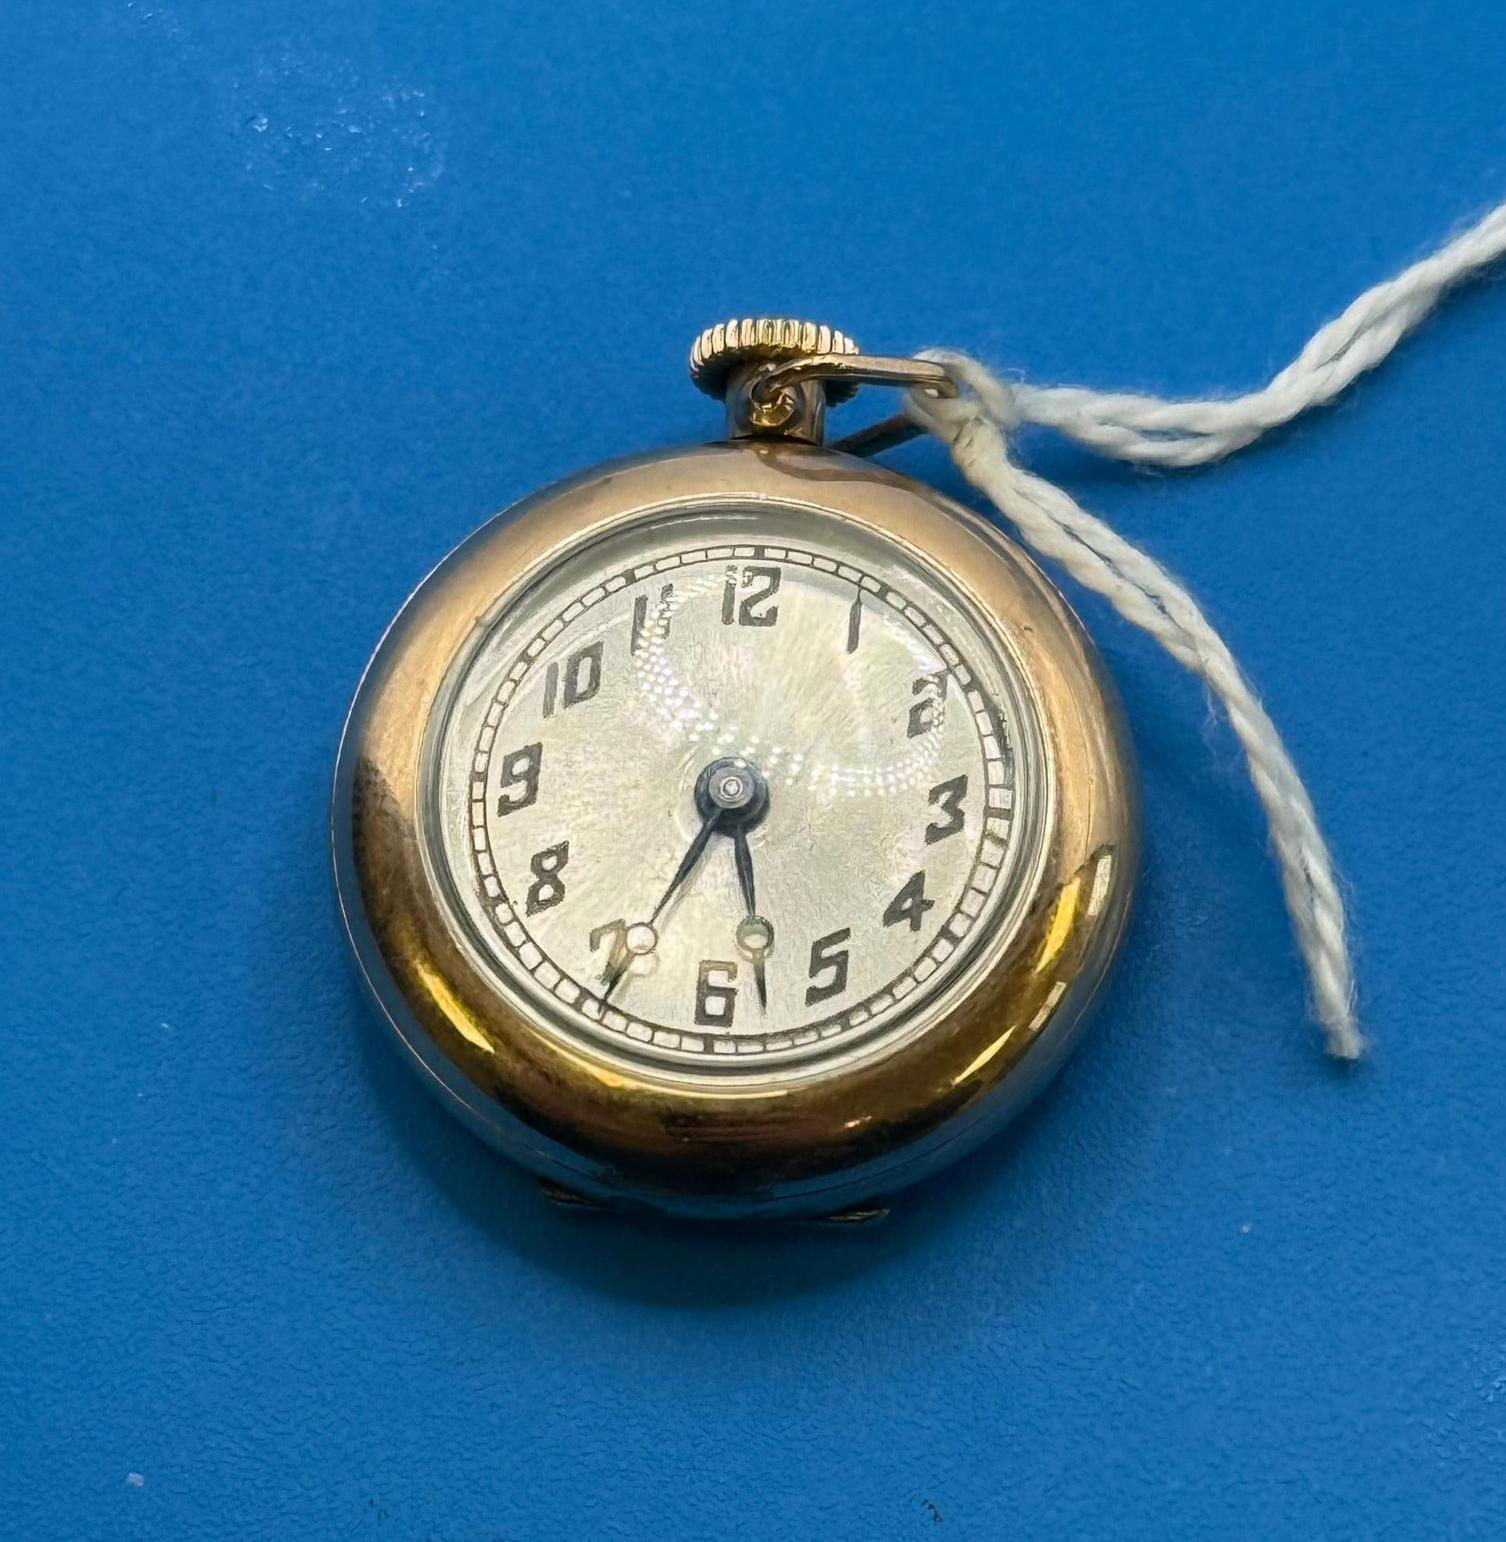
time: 5:34
